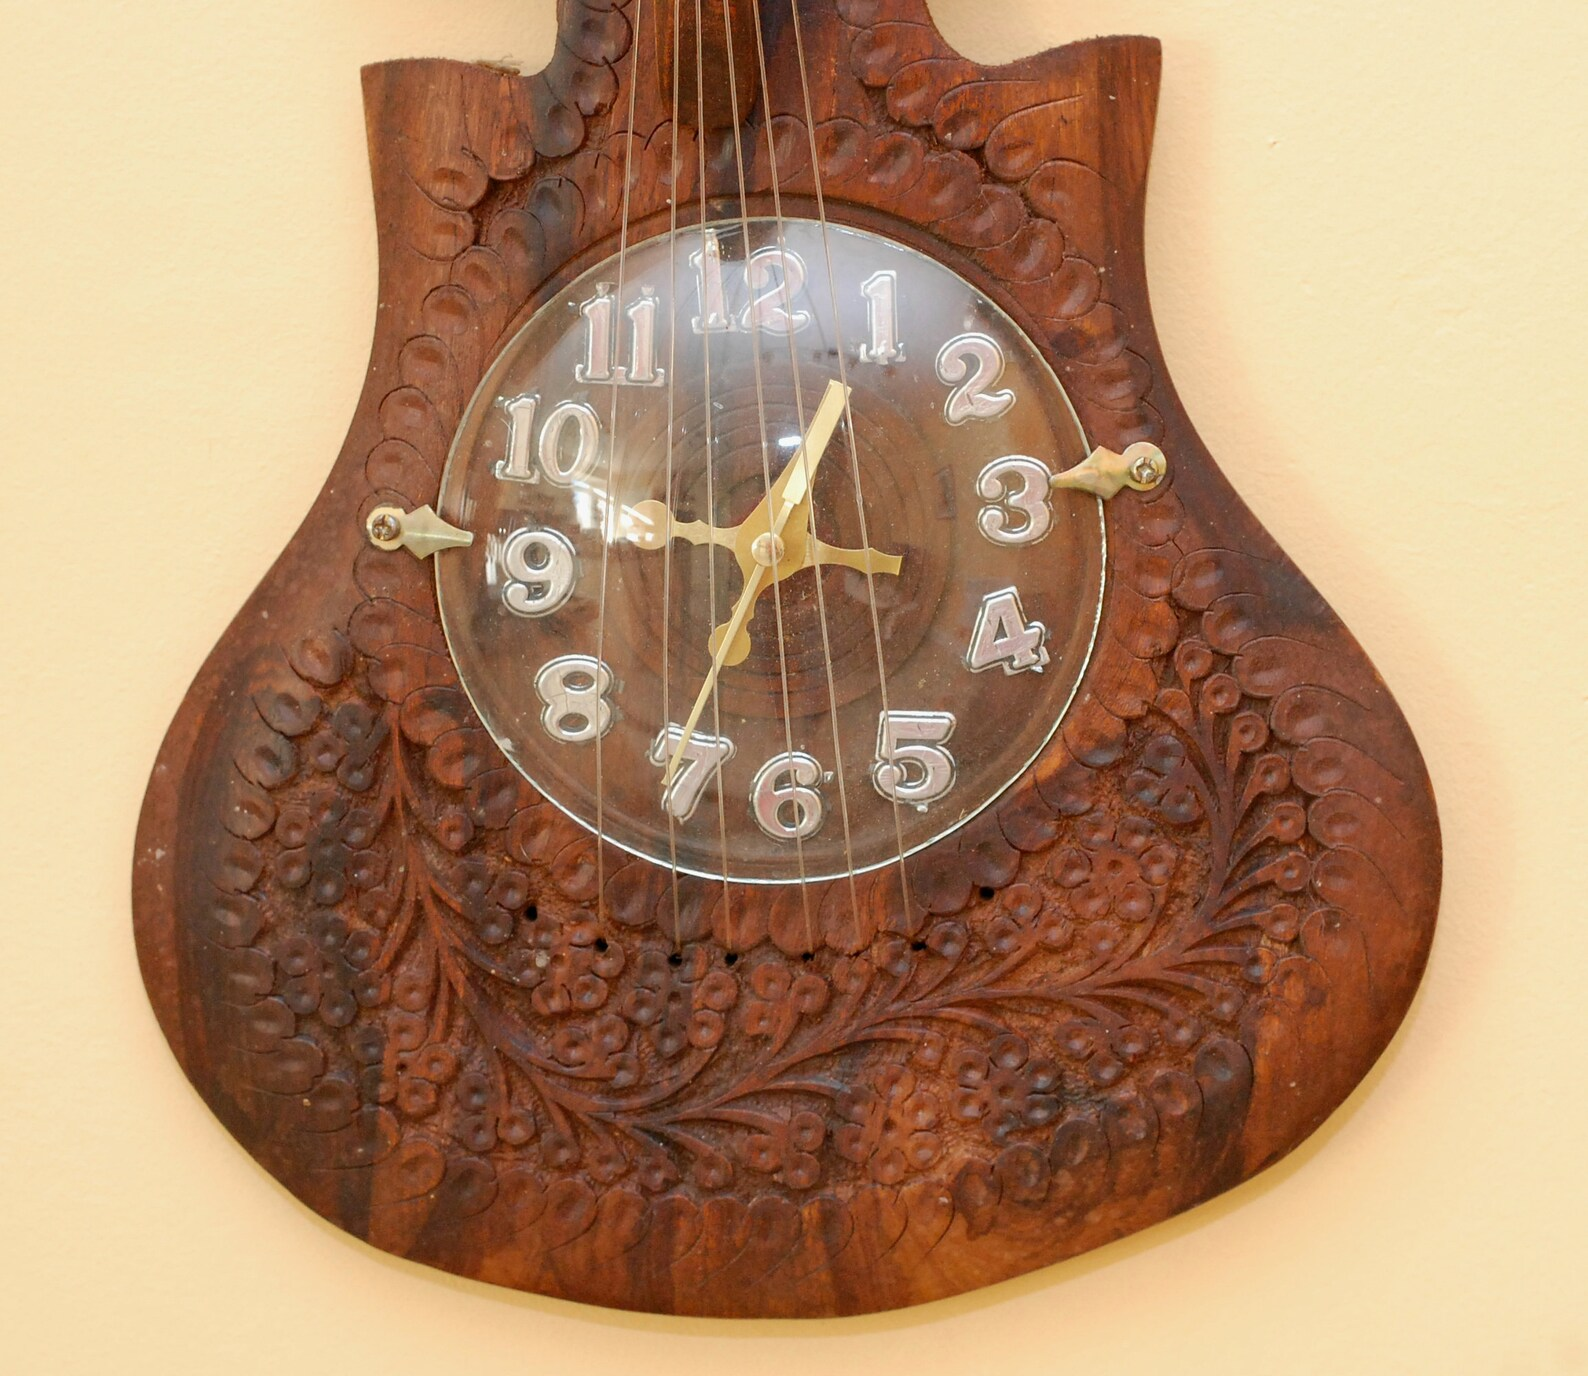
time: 12:46
